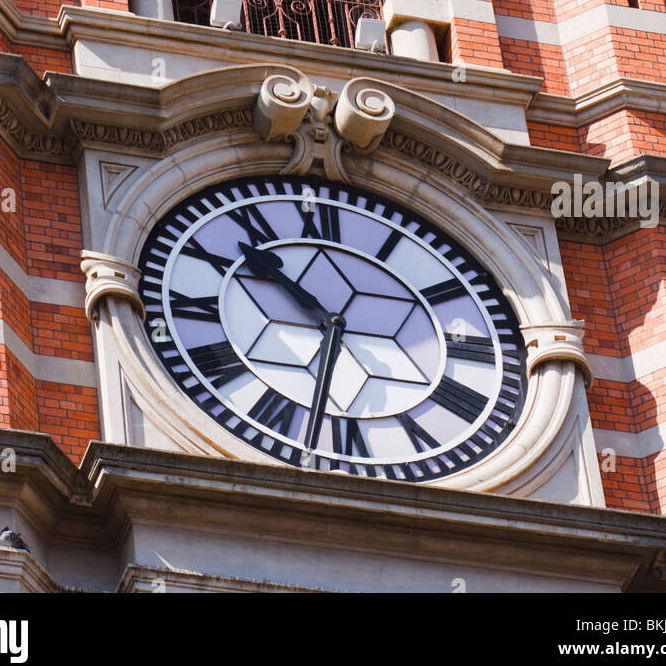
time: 10:32
